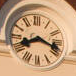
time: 8:17
